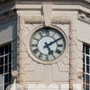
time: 5:09
